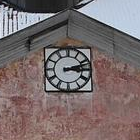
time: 3:12
